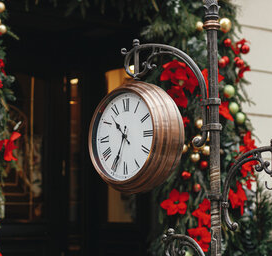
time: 10:34
